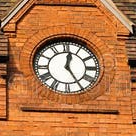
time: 12:24
